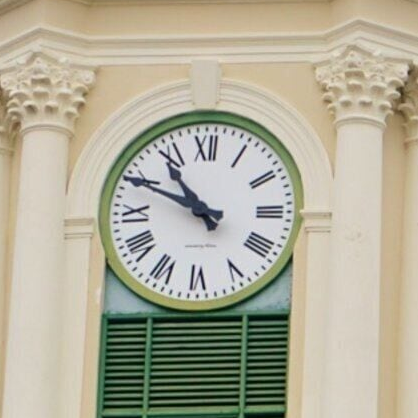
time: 10:49
